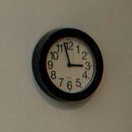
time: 2:58
